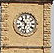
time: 10:32
